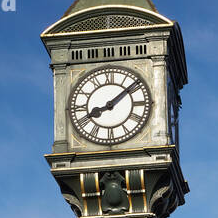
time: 8:08
